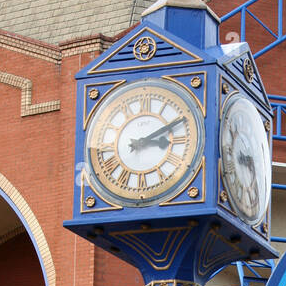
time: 3:10
